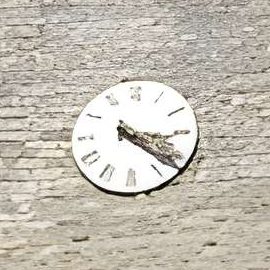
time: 3:21
